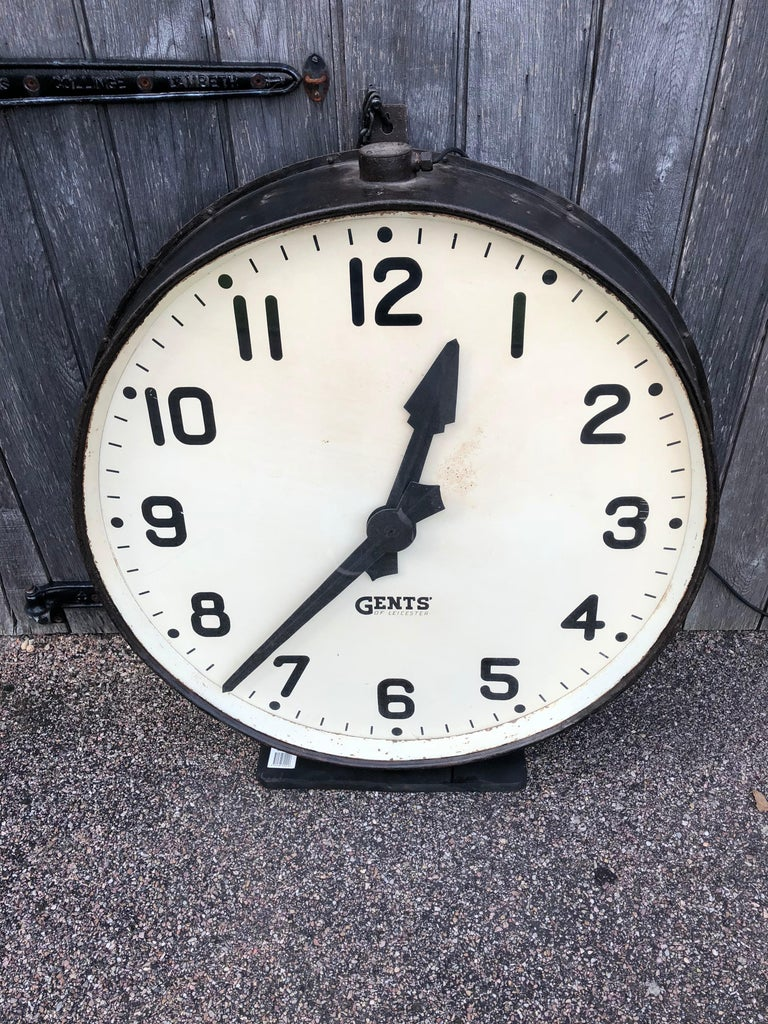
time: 12:37
